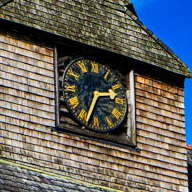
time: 2:34
